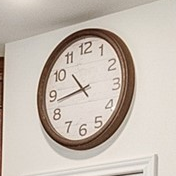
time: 10:43
